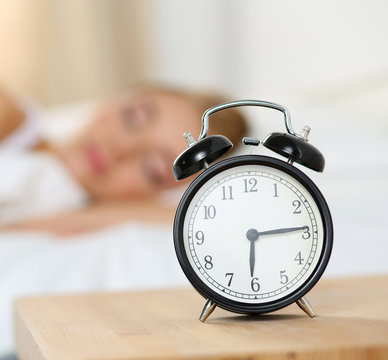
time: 6:14
